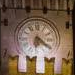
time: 6:20
